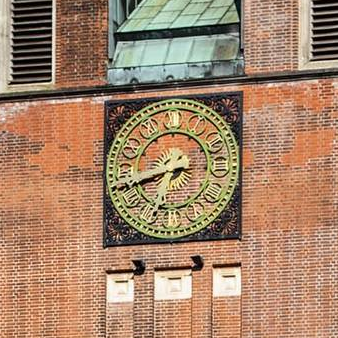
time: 6:43
